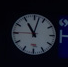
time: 11:02
